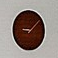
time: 9:08
